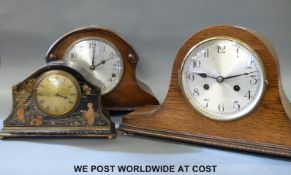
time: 9:12
